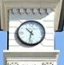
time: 10:32
